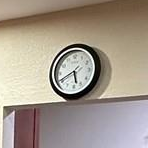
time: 5:40
